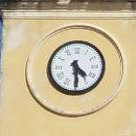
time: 4:29
